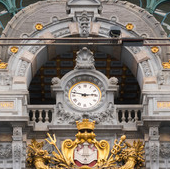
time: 2:46
